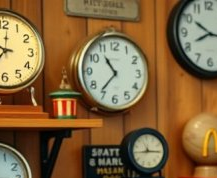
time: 10:36
